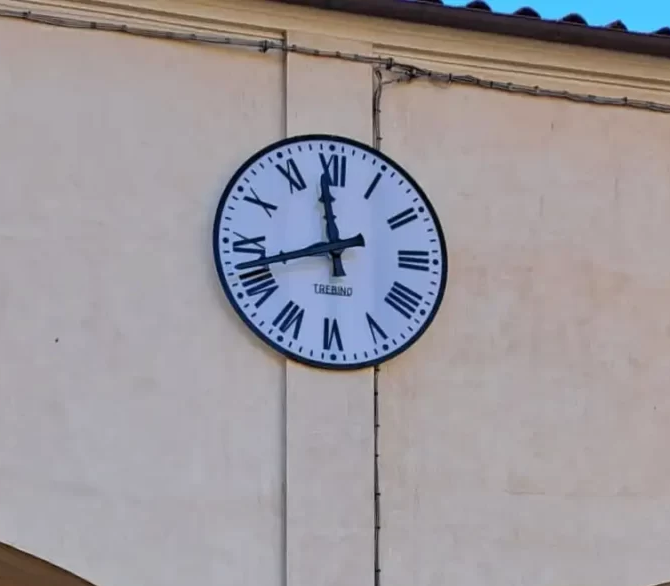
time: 11:42
